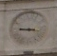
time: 9:17
